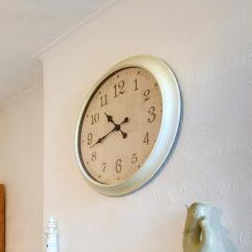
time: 10:42
